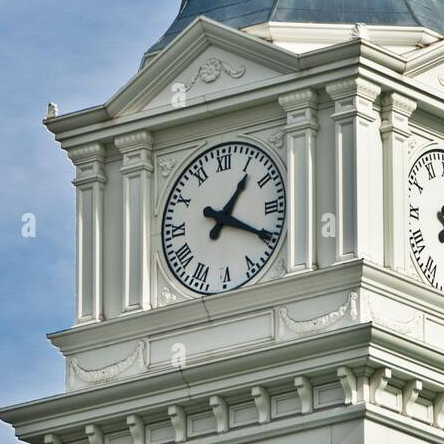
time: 1:19
